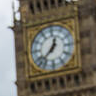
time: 12:37
